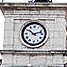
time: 10:12
